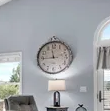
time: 11:44
